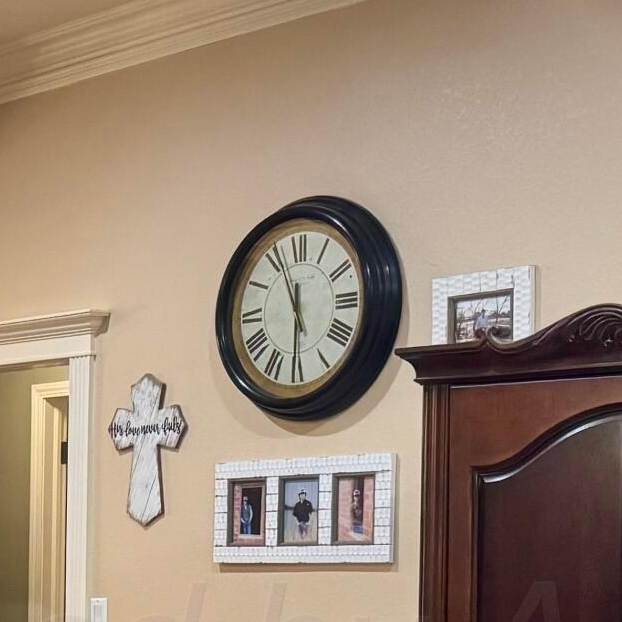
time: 11:30
